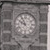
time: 9:55
